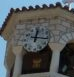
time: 12:16
